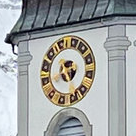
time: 4:40
